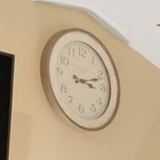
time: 3:11
